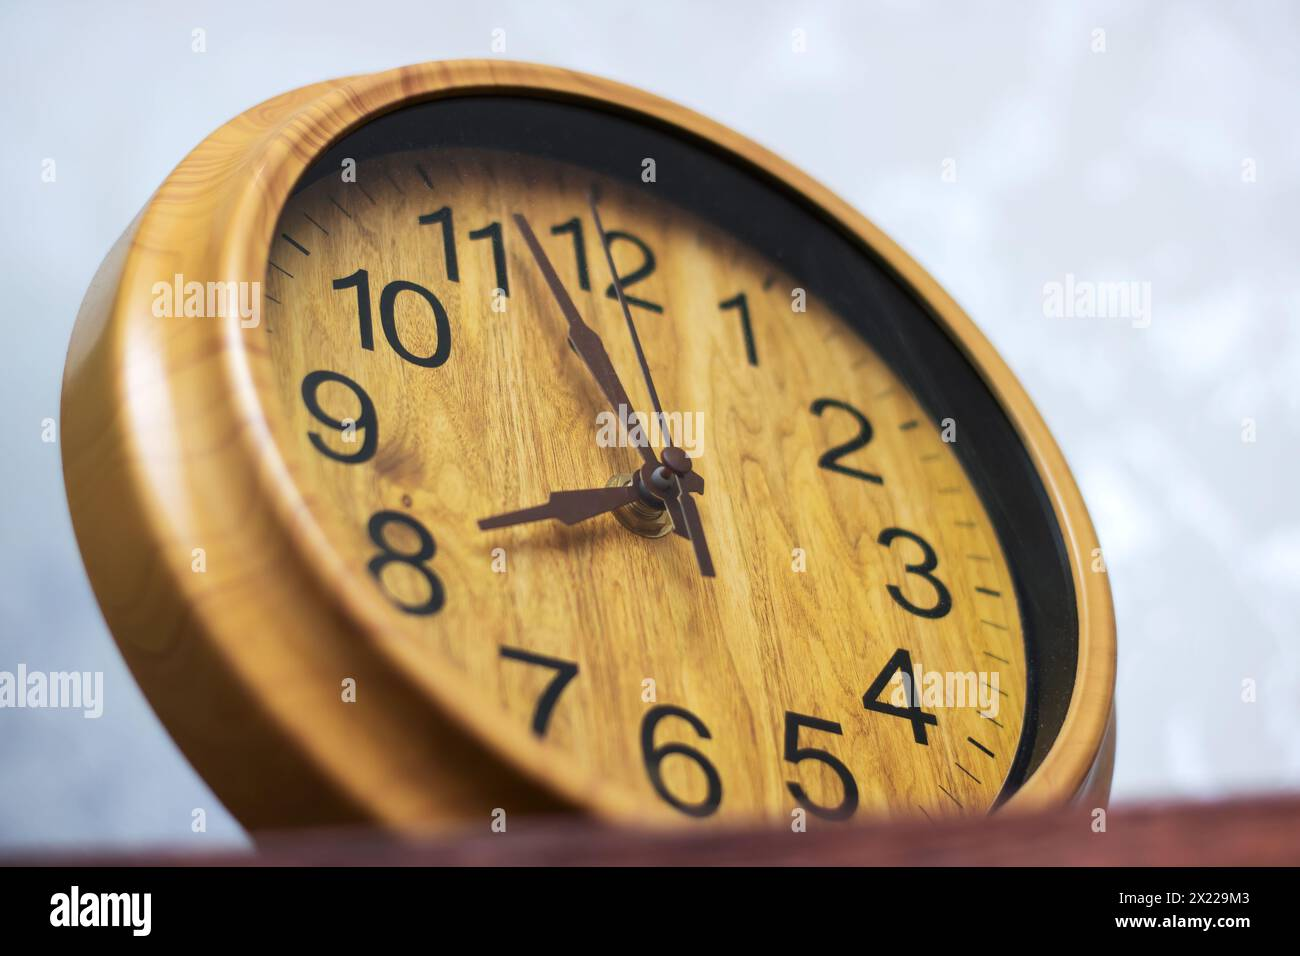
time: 7:57
